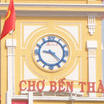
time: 9:22
